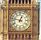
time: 12:47
